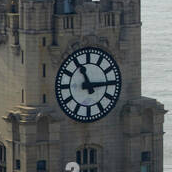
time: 11:14
